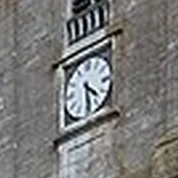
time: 4:29
